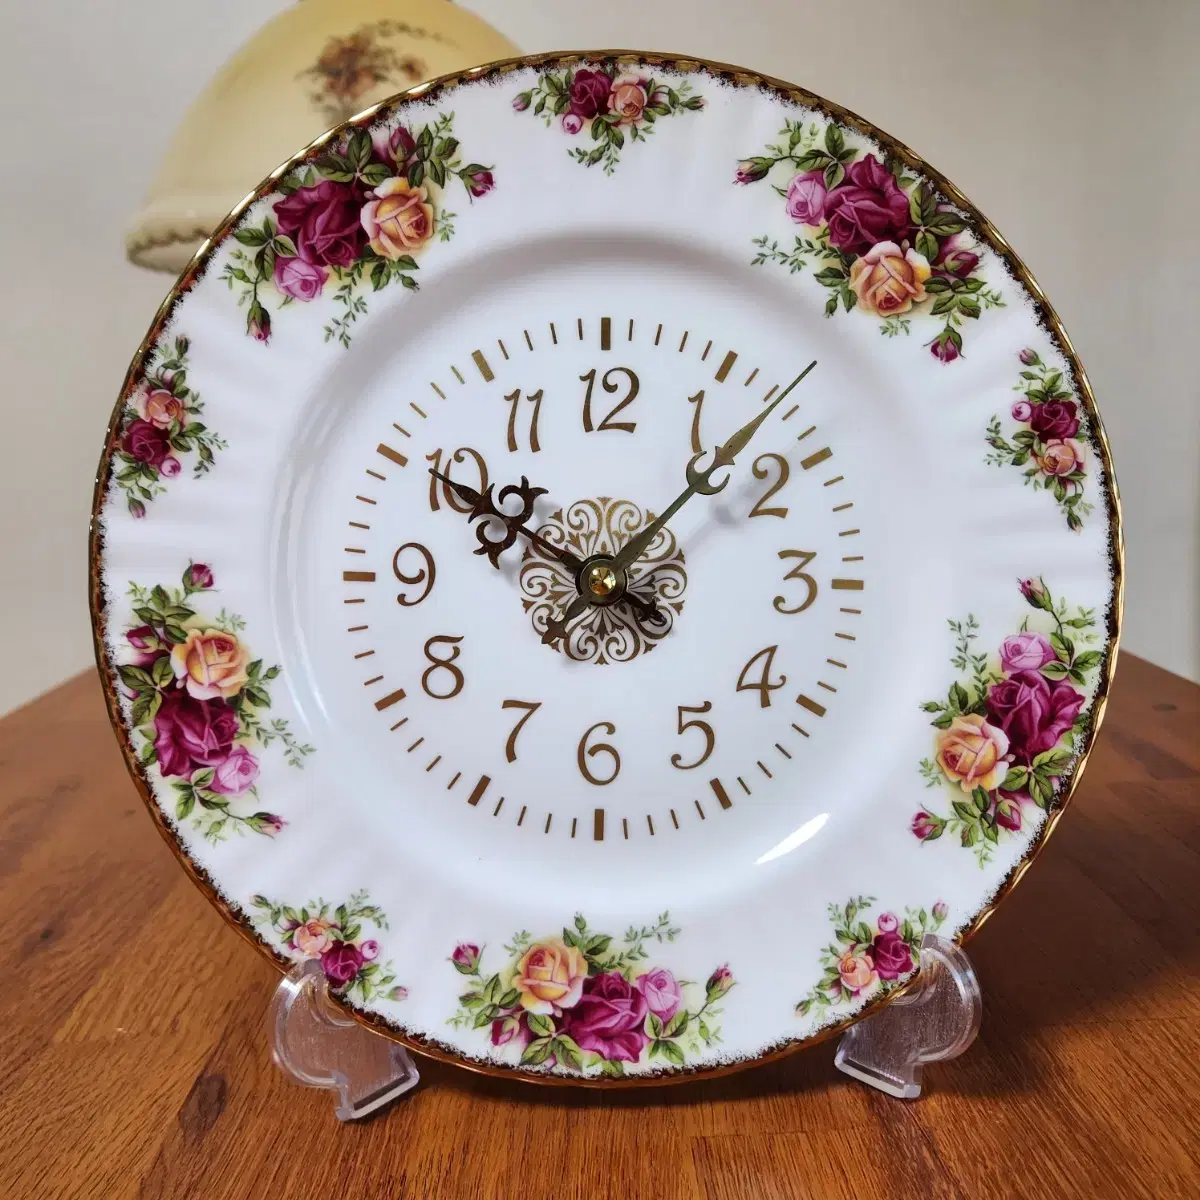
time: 10:07
